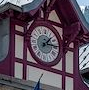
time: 1:14
